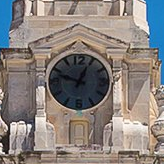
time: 12:48
